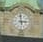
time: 2:58
